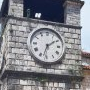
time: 1:32
